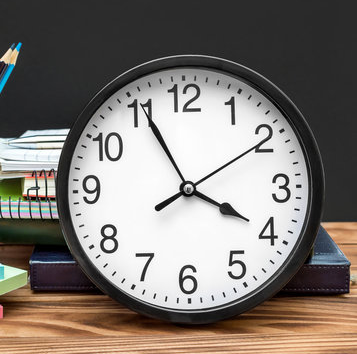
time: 3:55
